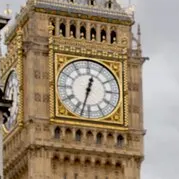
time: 12:32
